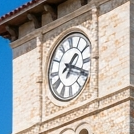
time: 1:18
